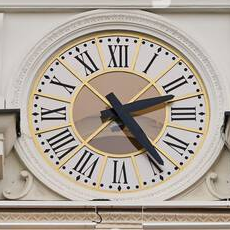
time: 2:24
